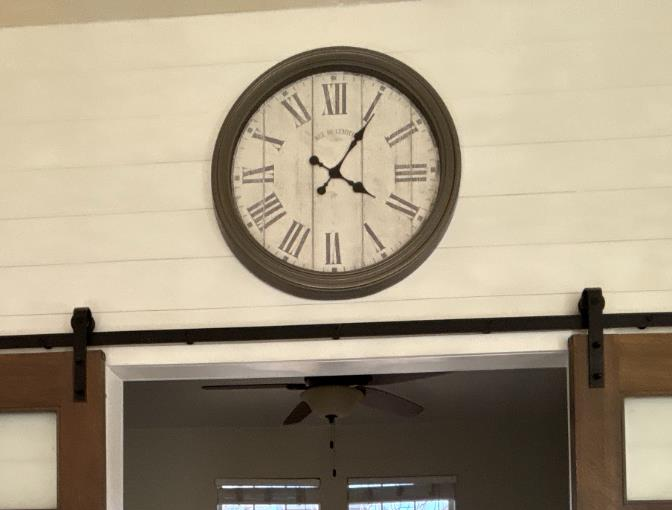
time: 4:04
